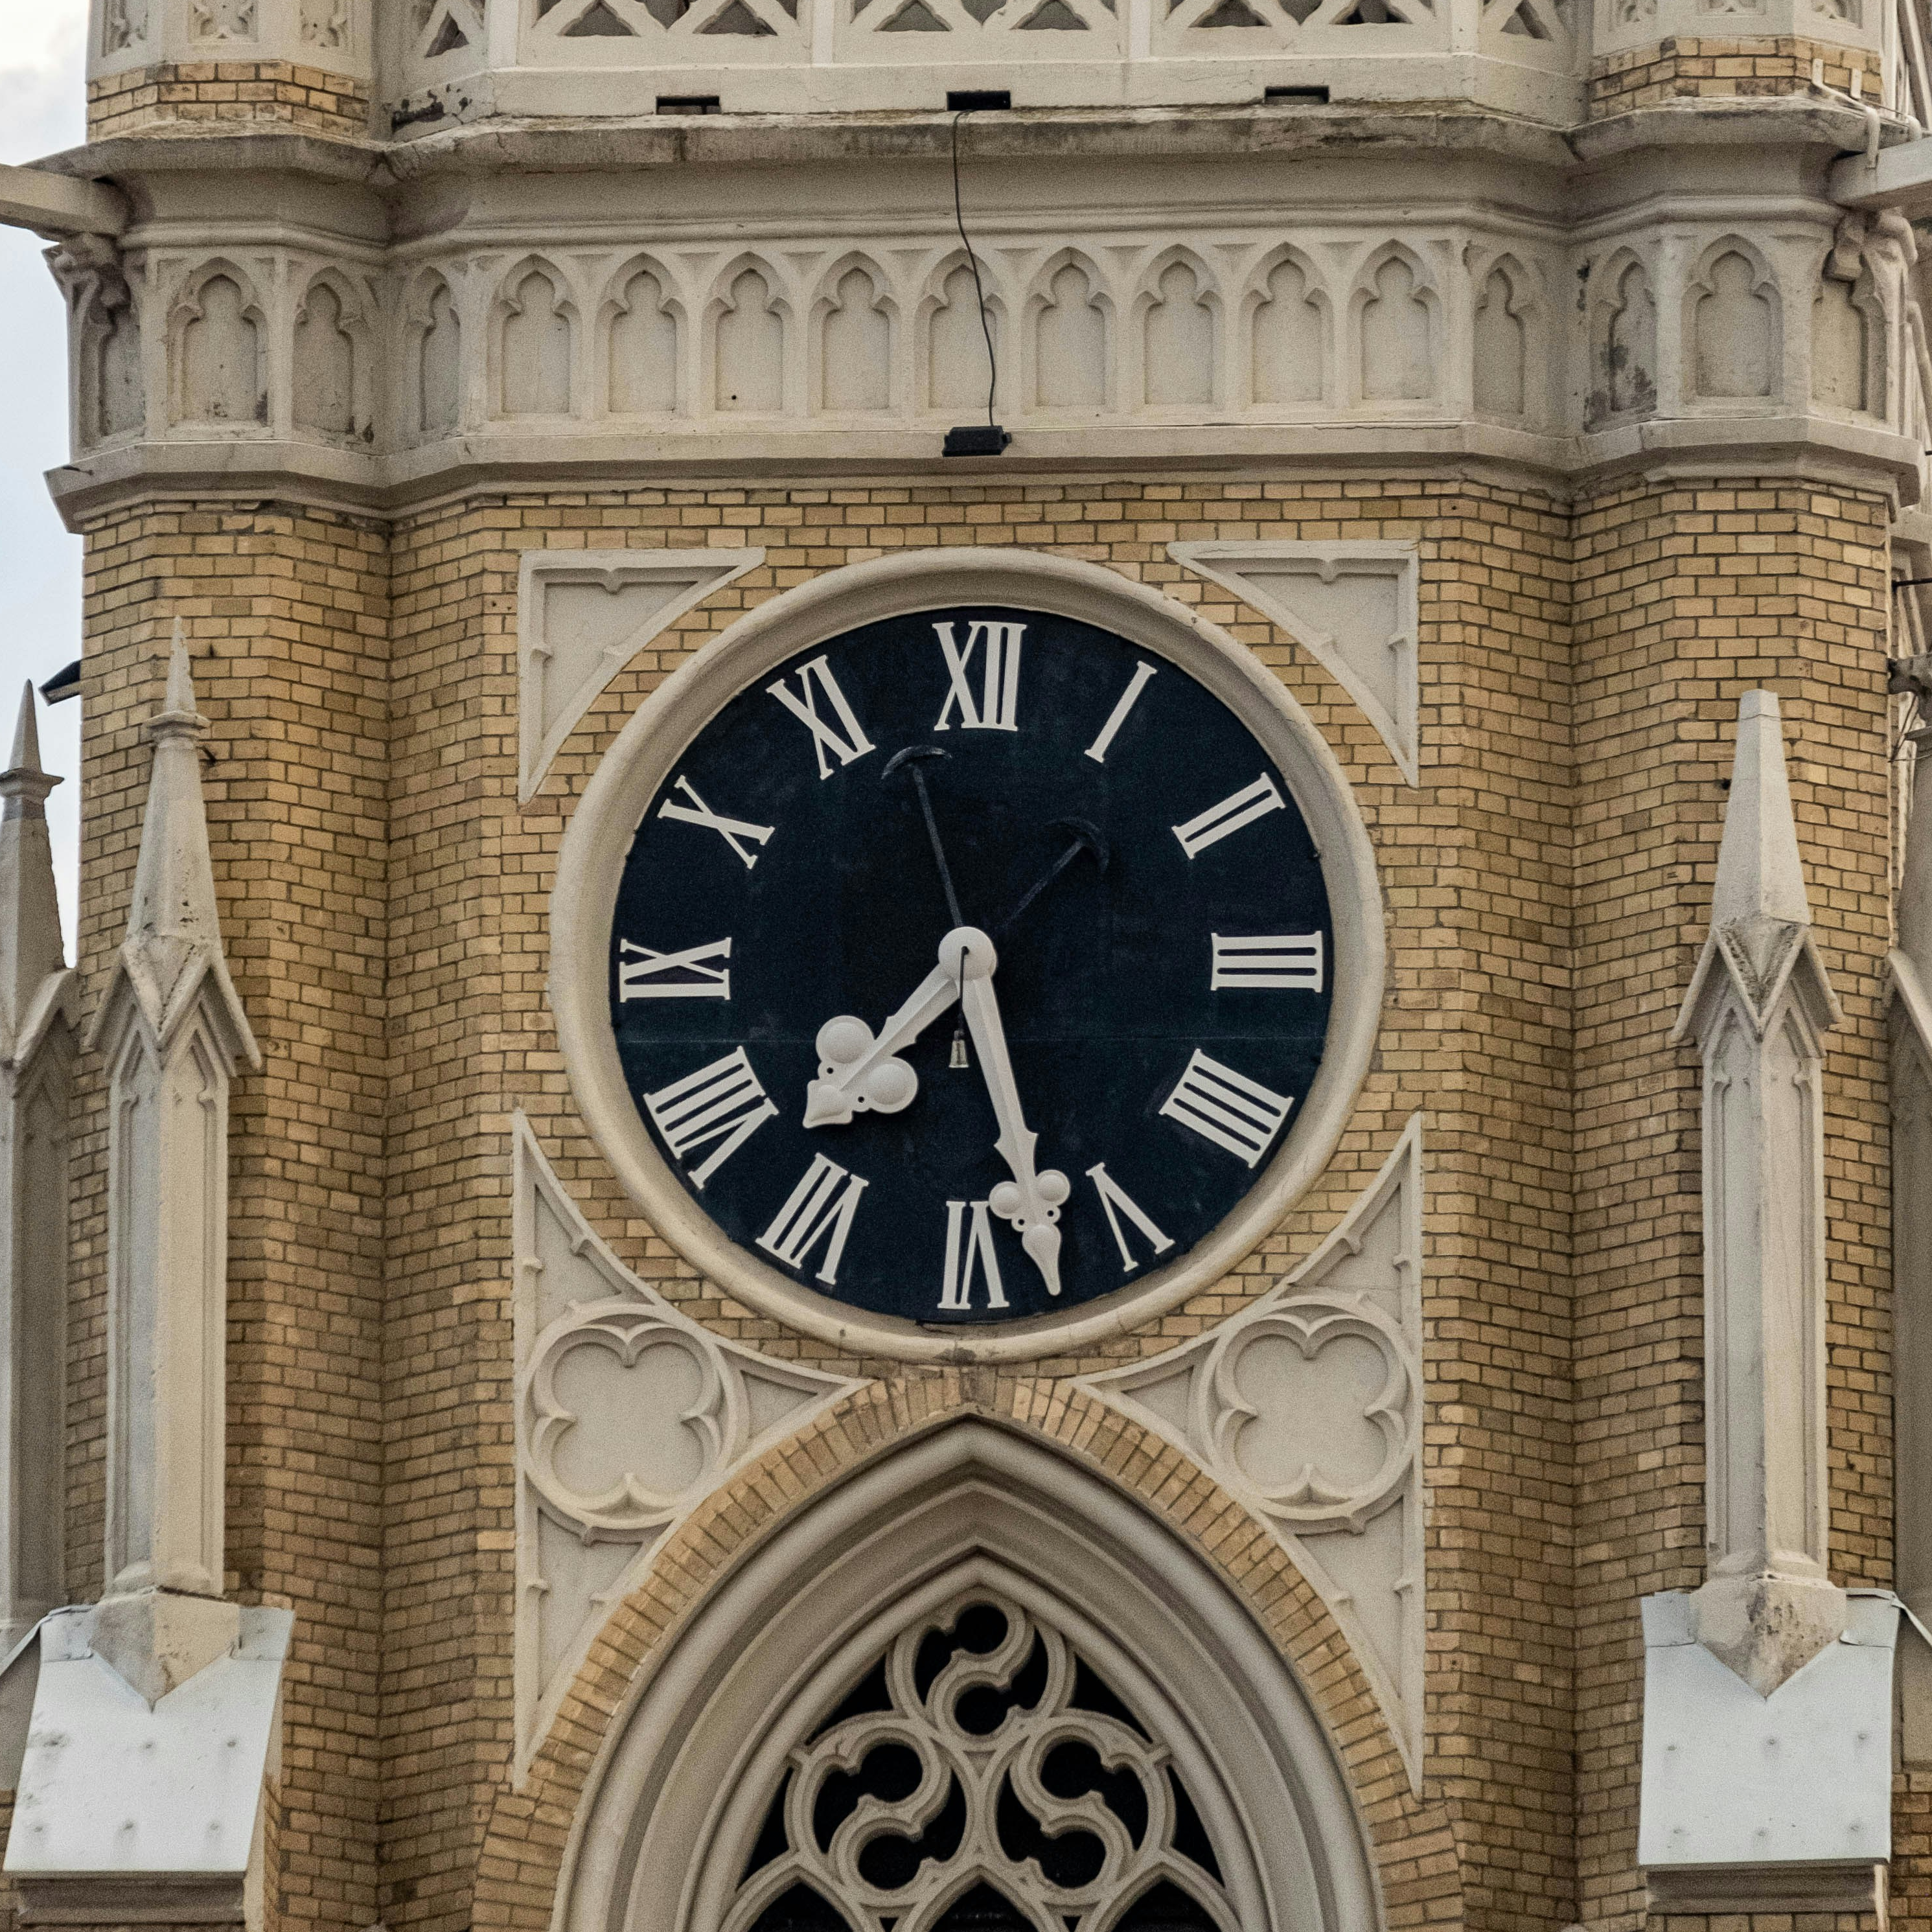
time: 7:27
